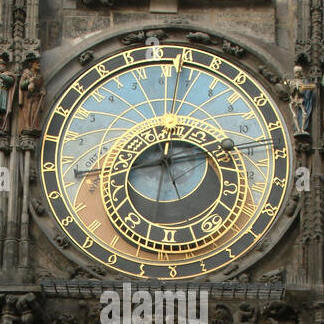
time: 8:12
